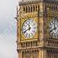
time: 11:41
